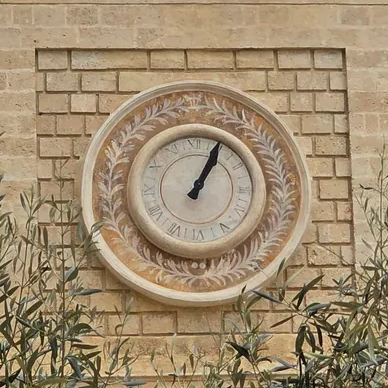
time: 1:04
